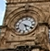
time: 5:18
